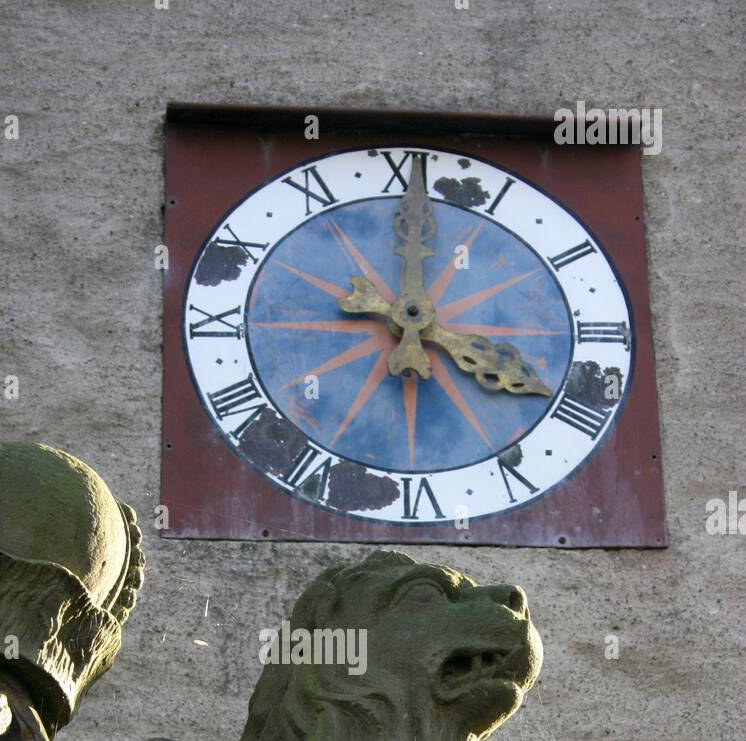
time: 4:00
